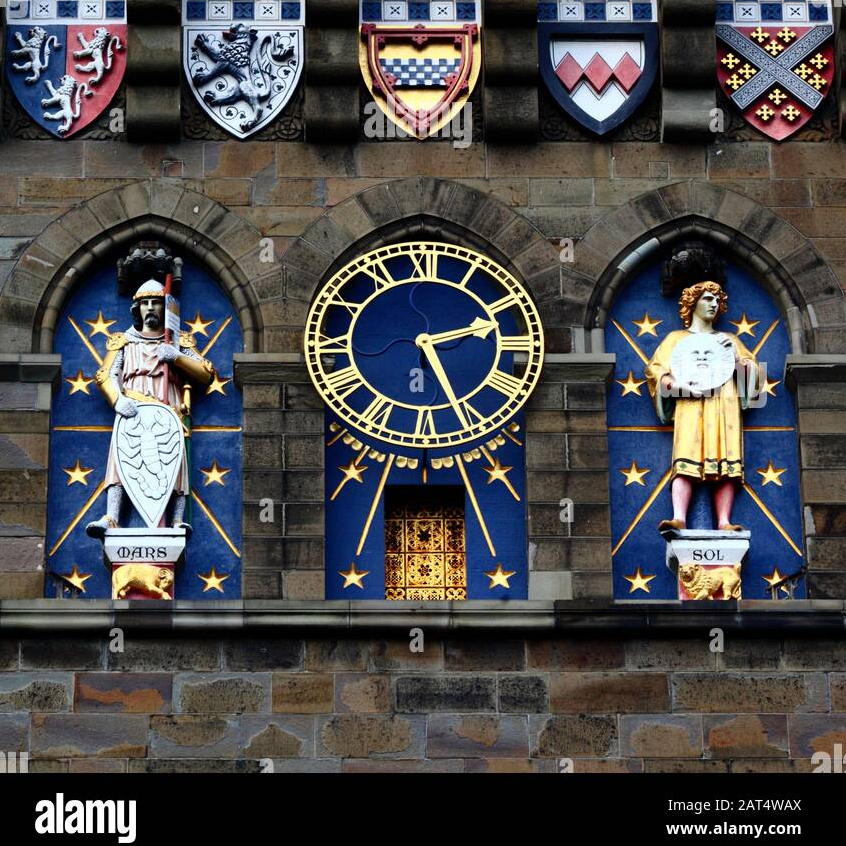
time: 2:25
